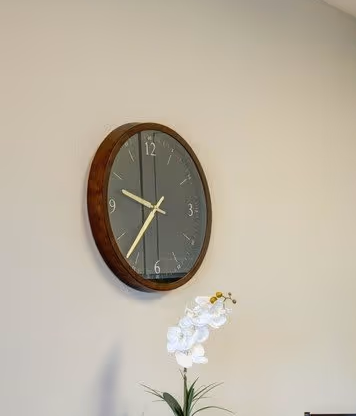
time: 9:36
